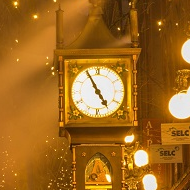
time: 4:55
